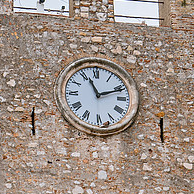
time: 11:11
